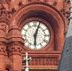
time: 6:03
